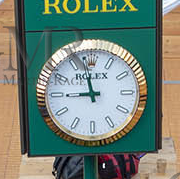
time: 8:57
